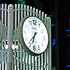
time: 6:36
